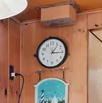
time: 1:15
